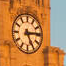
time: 5:14
